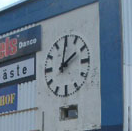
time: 2:00
